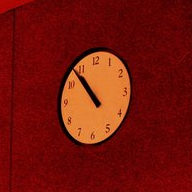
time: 10:53
